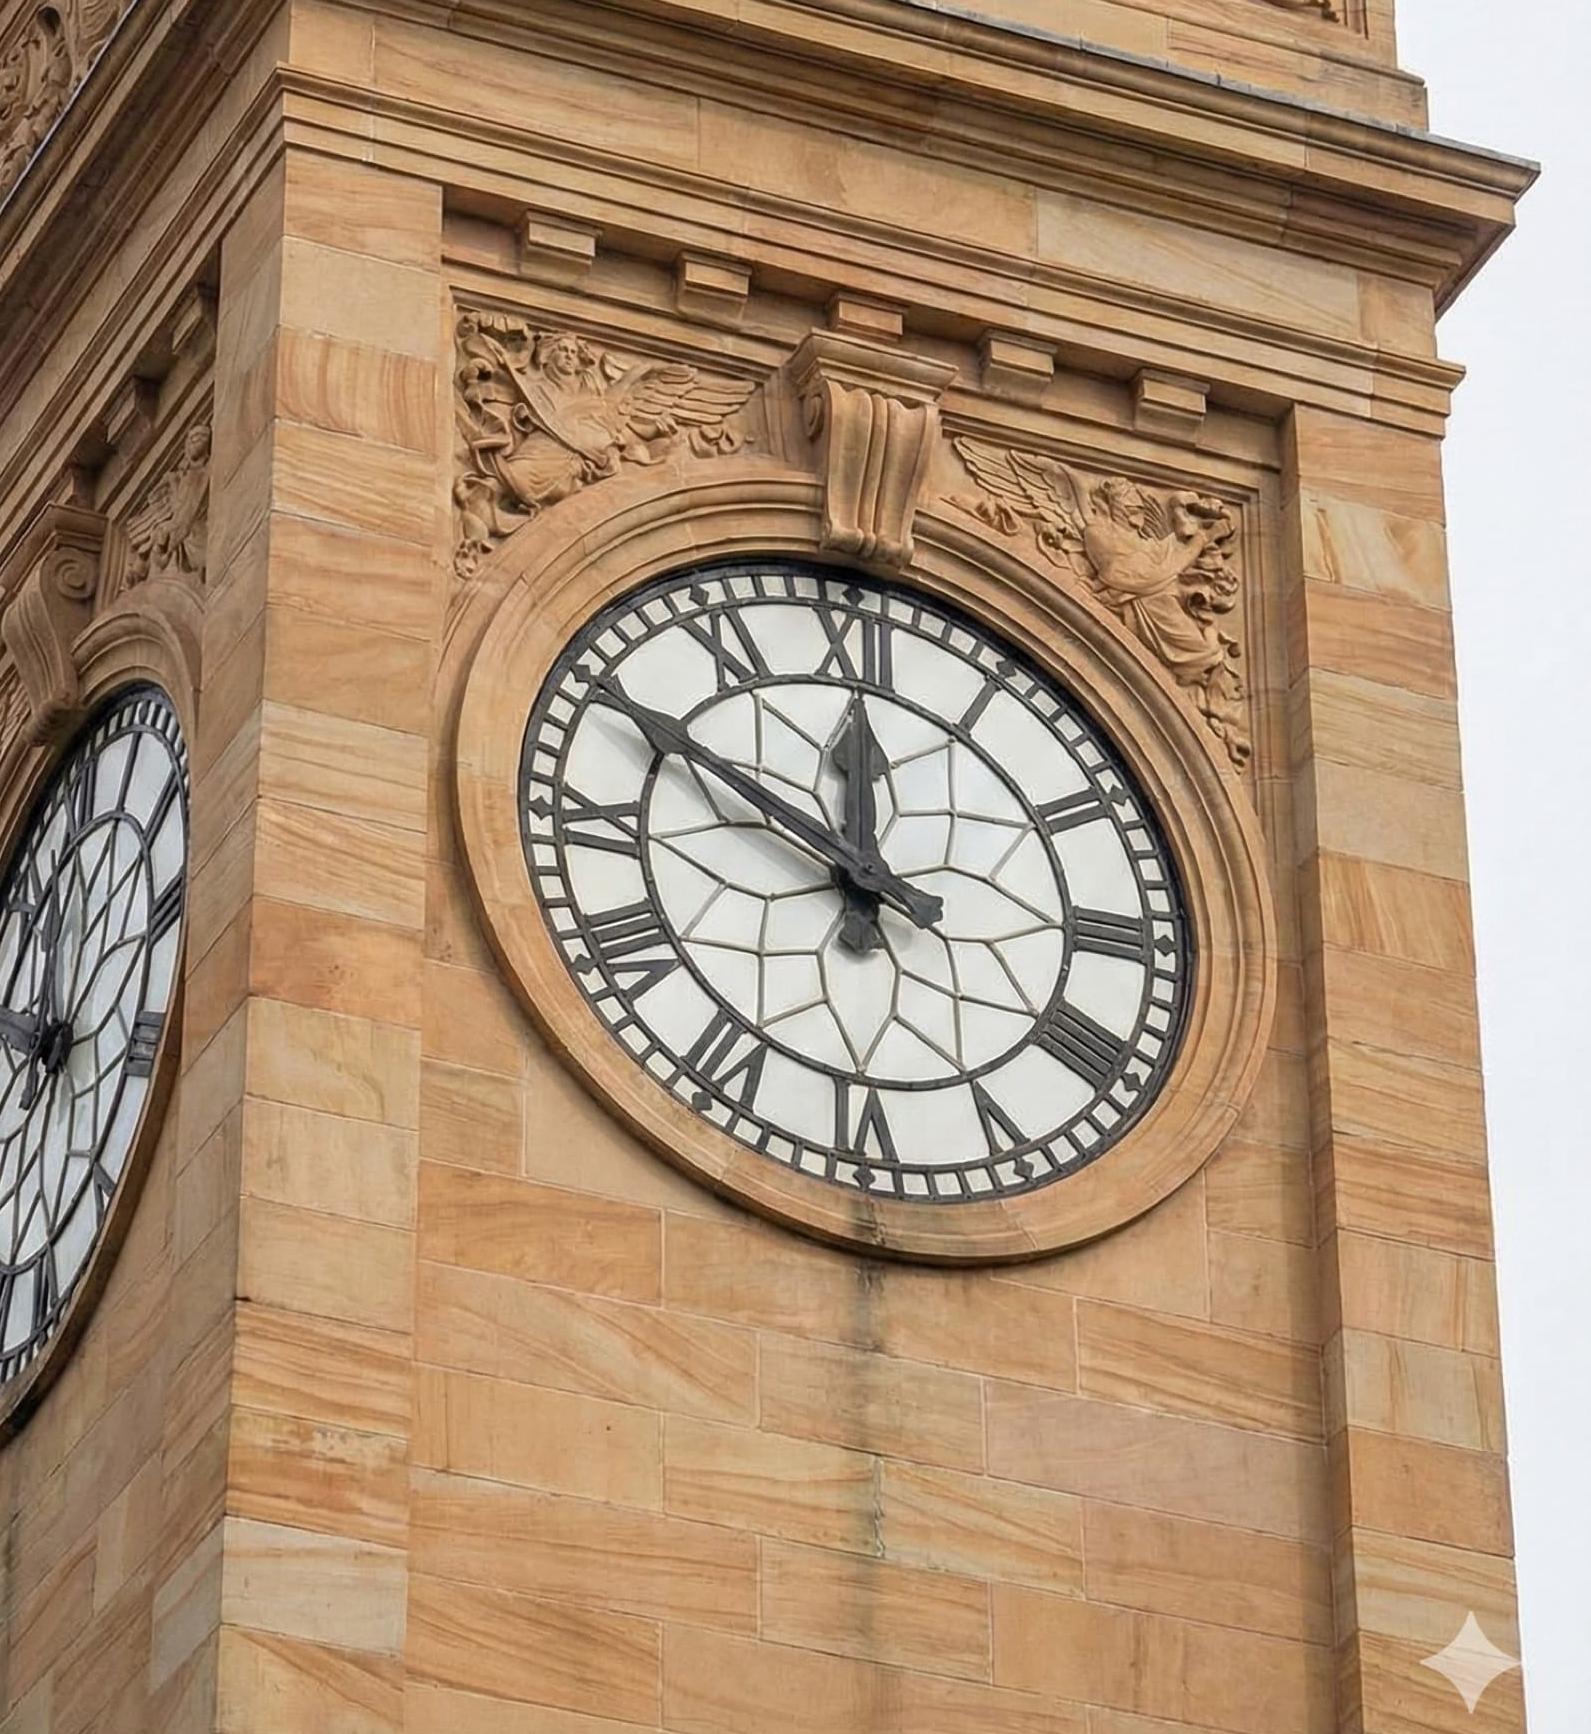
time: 11:49
